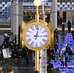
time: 3:02
